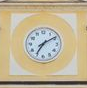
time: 7:09
